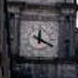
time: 12:19
